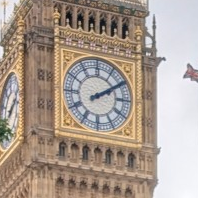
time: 2:09
